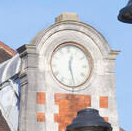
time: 12:28
